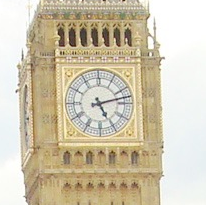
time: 5:12
